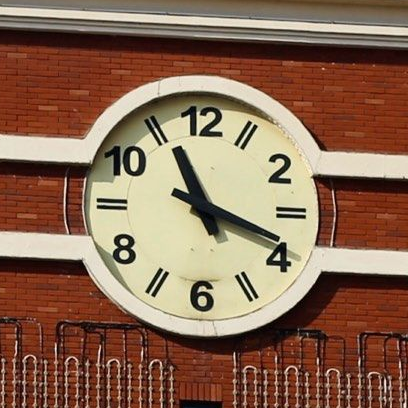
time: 11:18
